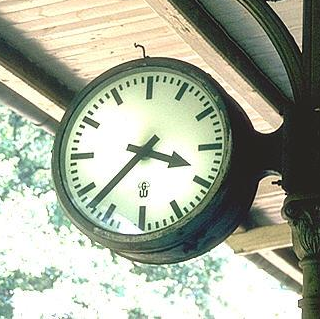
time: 3:37
